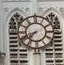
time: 7:41
